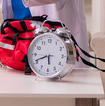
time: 5:41
